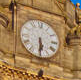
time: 5:29
